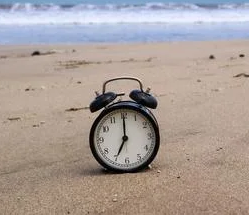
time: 7:00
